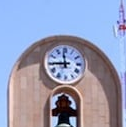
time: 11:44
